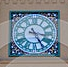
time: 3:24
